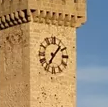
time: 7:07
